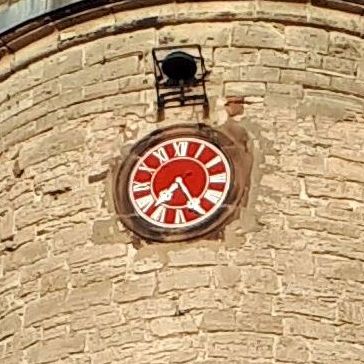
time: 7:24
